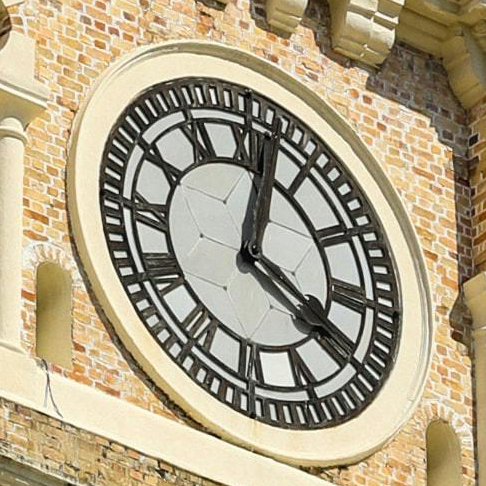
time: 4:01
